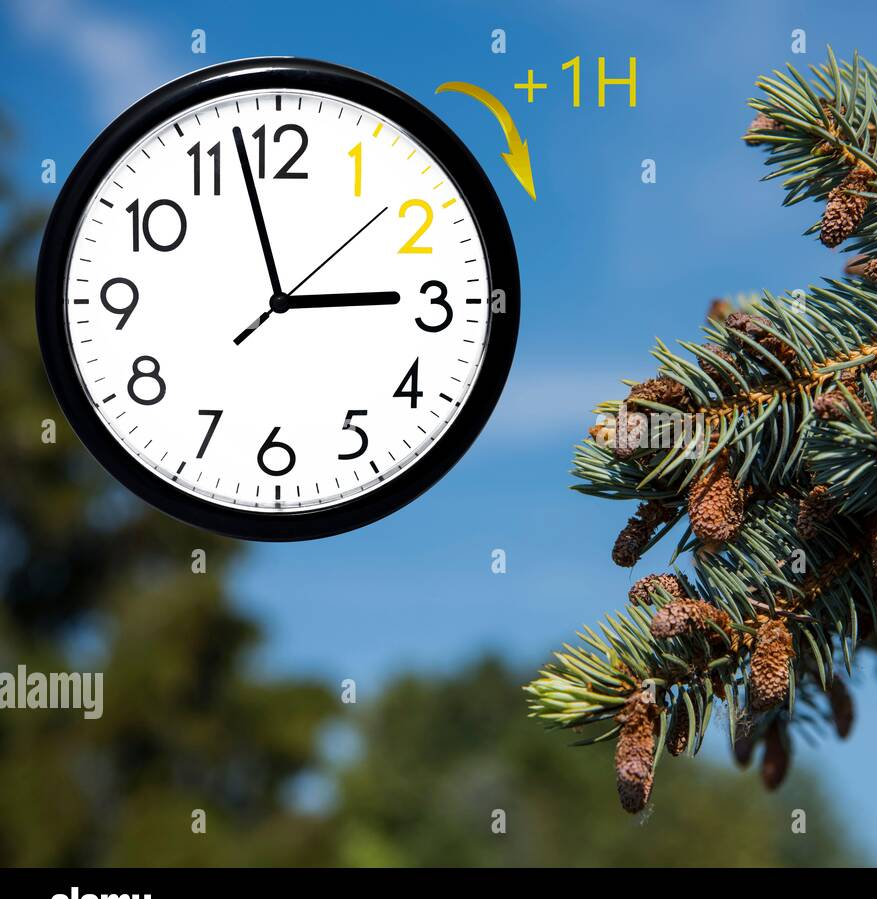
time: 2:57
